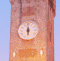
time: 5:59
